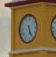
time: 6:25
